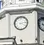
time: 4:13
